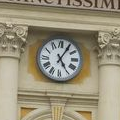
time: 5:05
